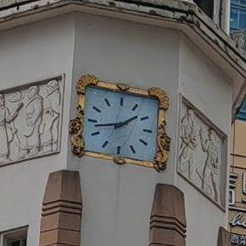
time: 1:42
